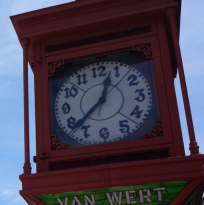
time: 12:37
